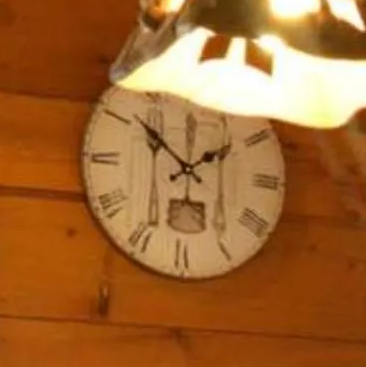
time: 1:51
